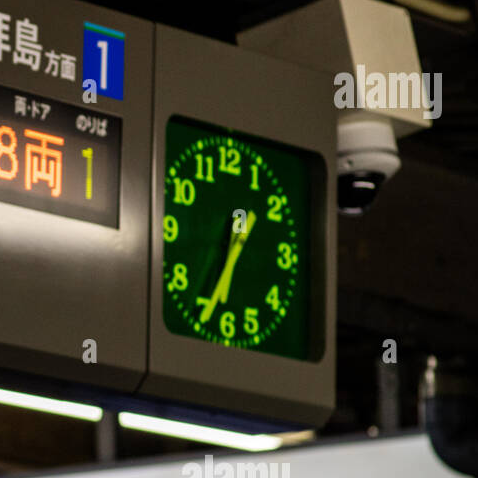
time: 6:34
